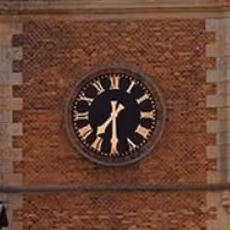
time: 7:30
